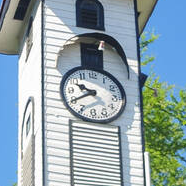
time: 9:40
